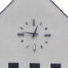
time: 12:46
